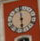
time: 5:59
